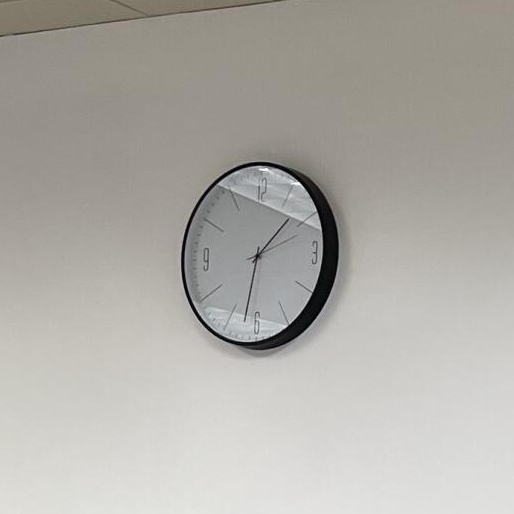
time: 1:32
